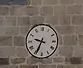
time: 9:34
